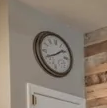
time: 1:41
